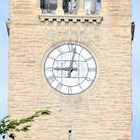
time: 9:01
